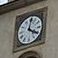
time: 4:01
